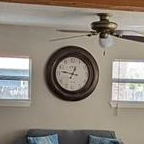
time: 12:46
